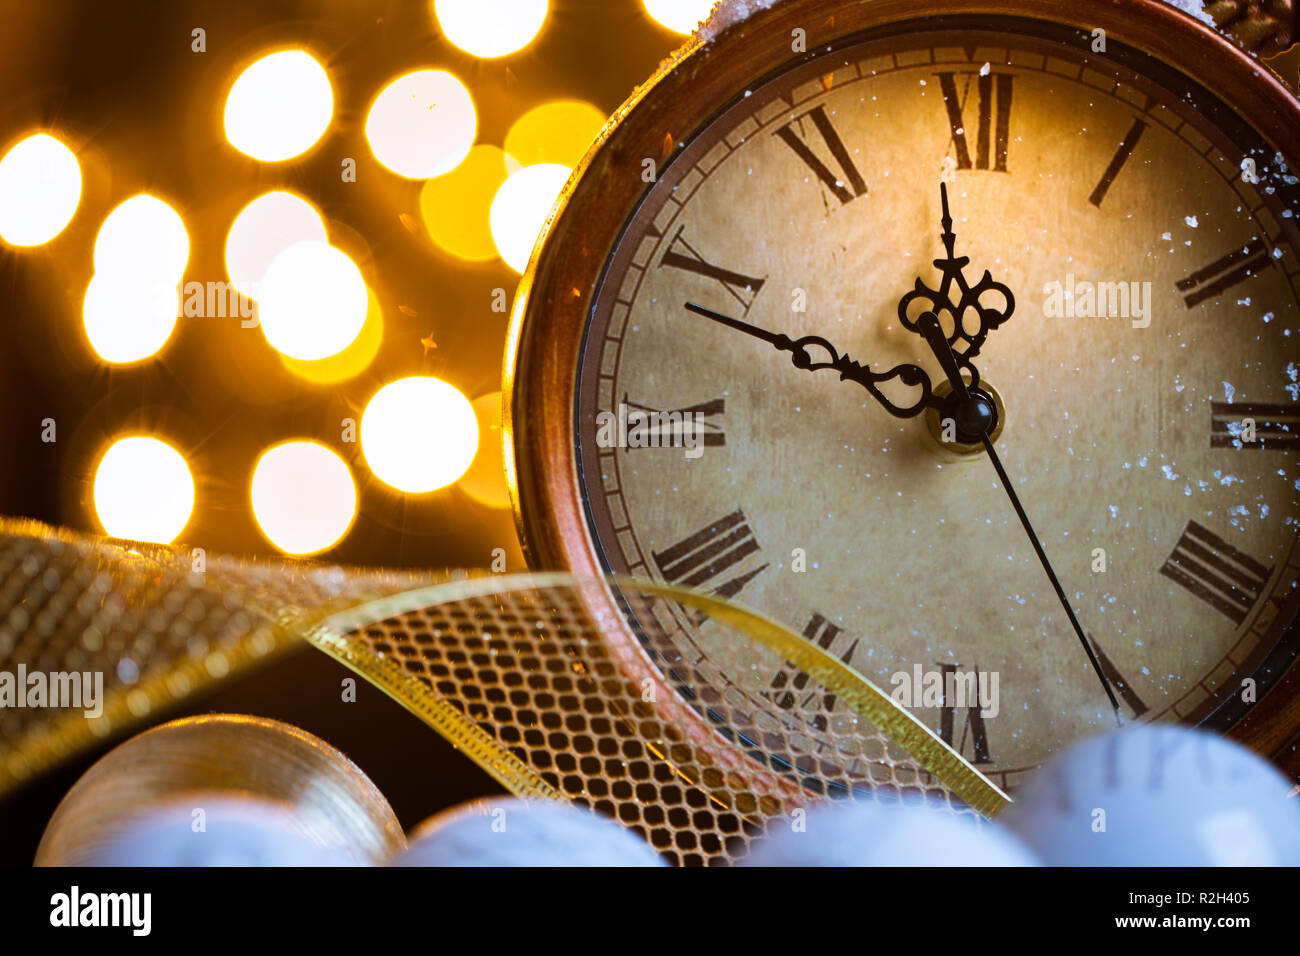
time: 11:48
